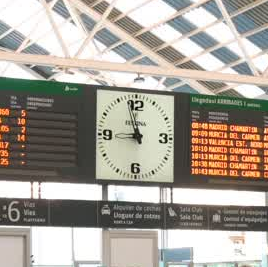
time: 8:57
